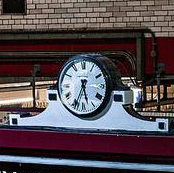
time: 5:33
